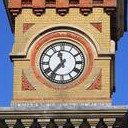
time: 11:36
